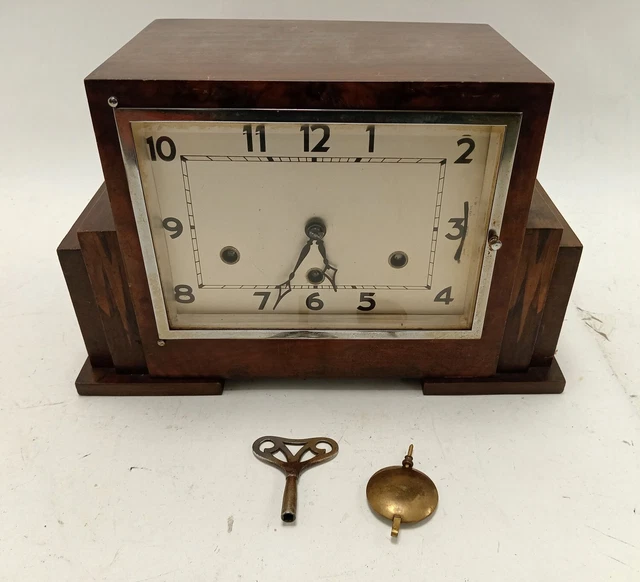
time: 5:33
